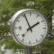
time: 1:56
